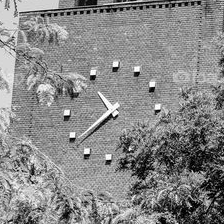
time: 10:38
